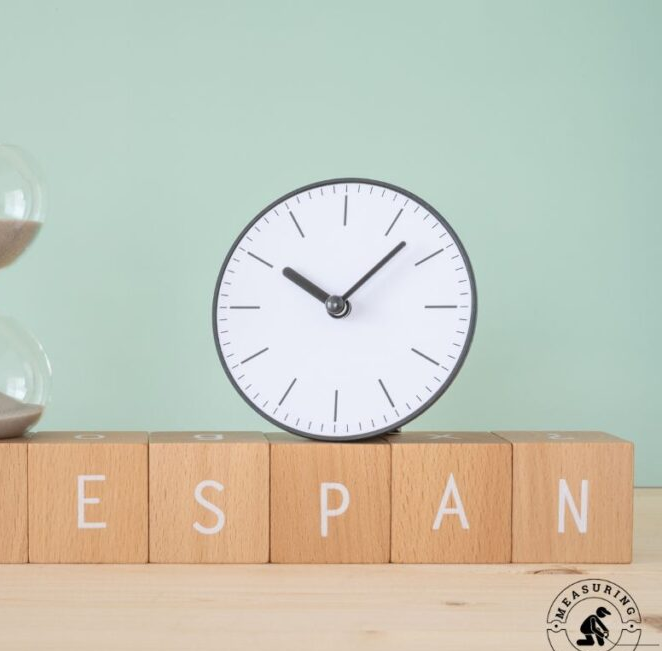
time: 10:07
